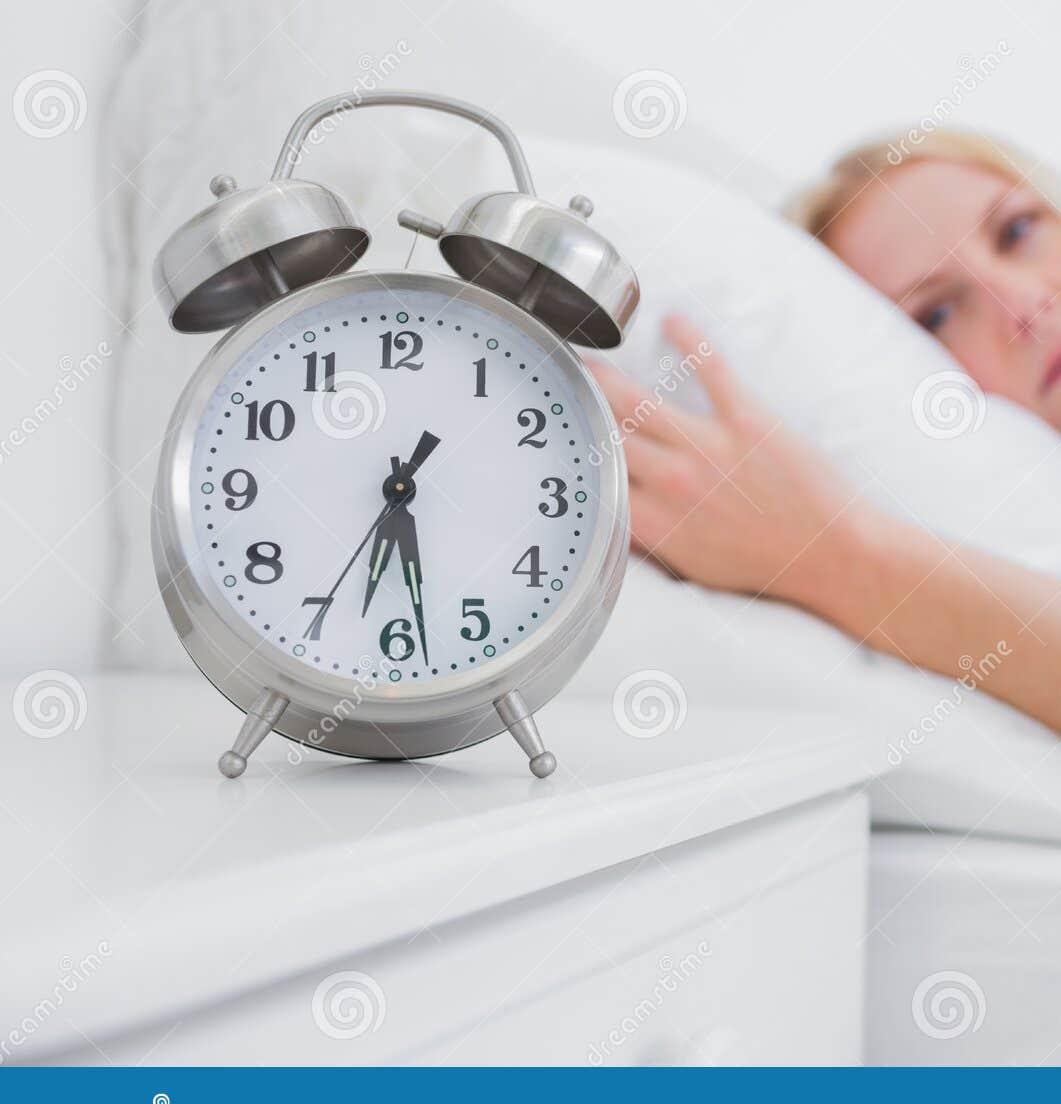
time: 6:28
